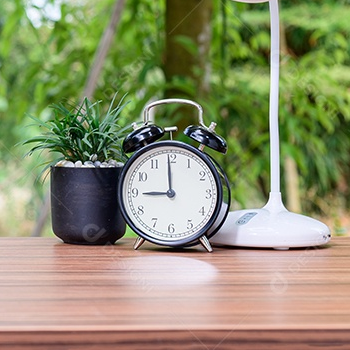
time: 8:59
